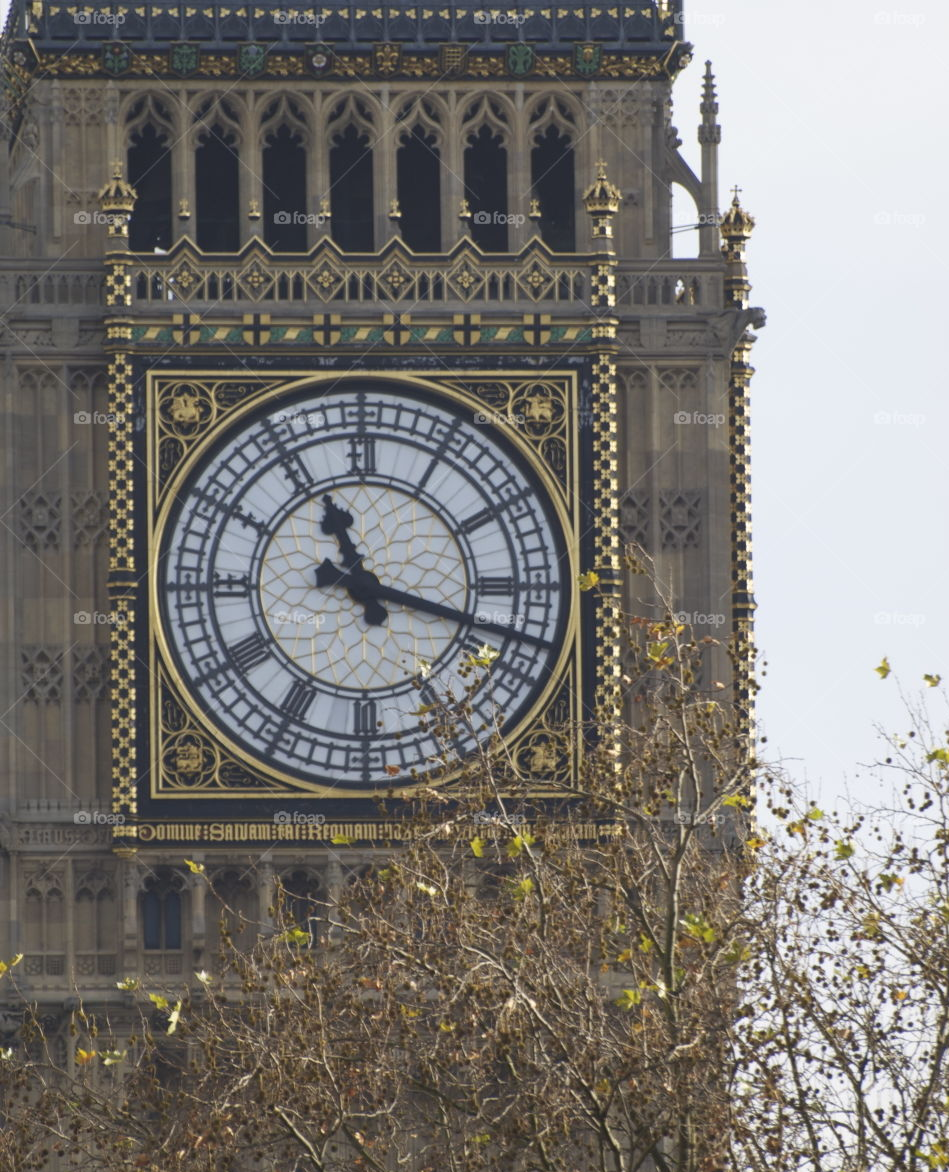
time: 11:17
